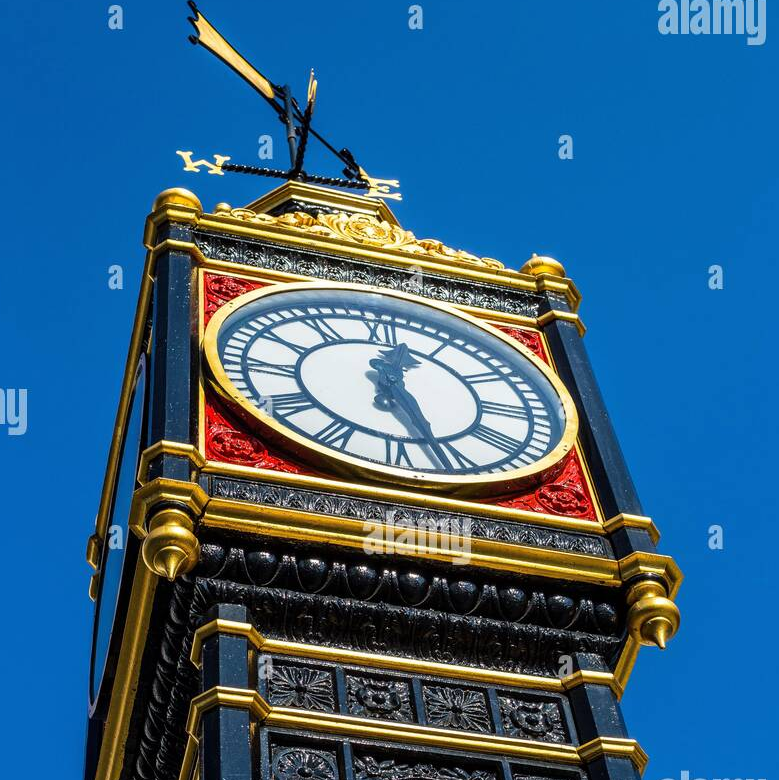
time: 12:26
